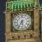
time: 5:35
